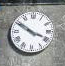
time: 3:50
